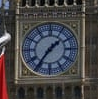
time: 1:36
